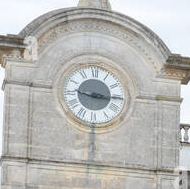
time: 9:16
